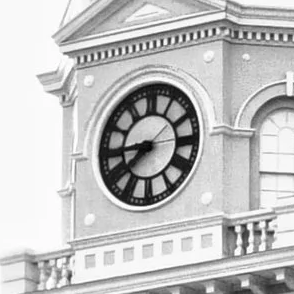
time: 8:37
